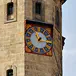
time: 1:16
